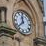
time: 11:37
